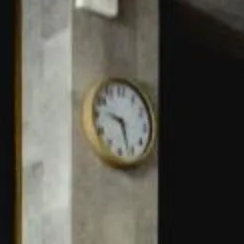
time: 9:26
